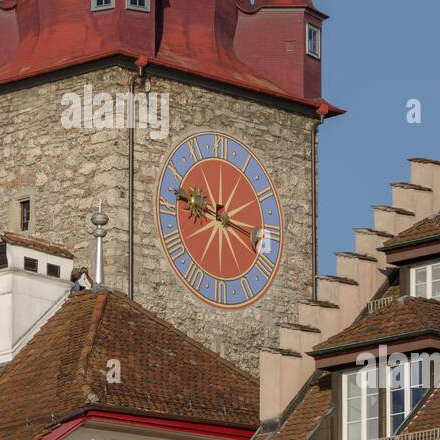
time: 9:17
